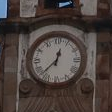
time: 12:37
